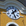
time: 1:26
